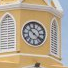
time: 10:21
